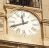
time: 11:40
